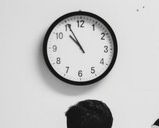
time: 10:55
